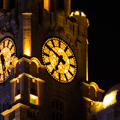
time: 6:50
